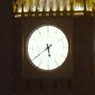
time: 5:39
